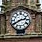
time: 2:40
